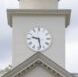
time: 9:28
